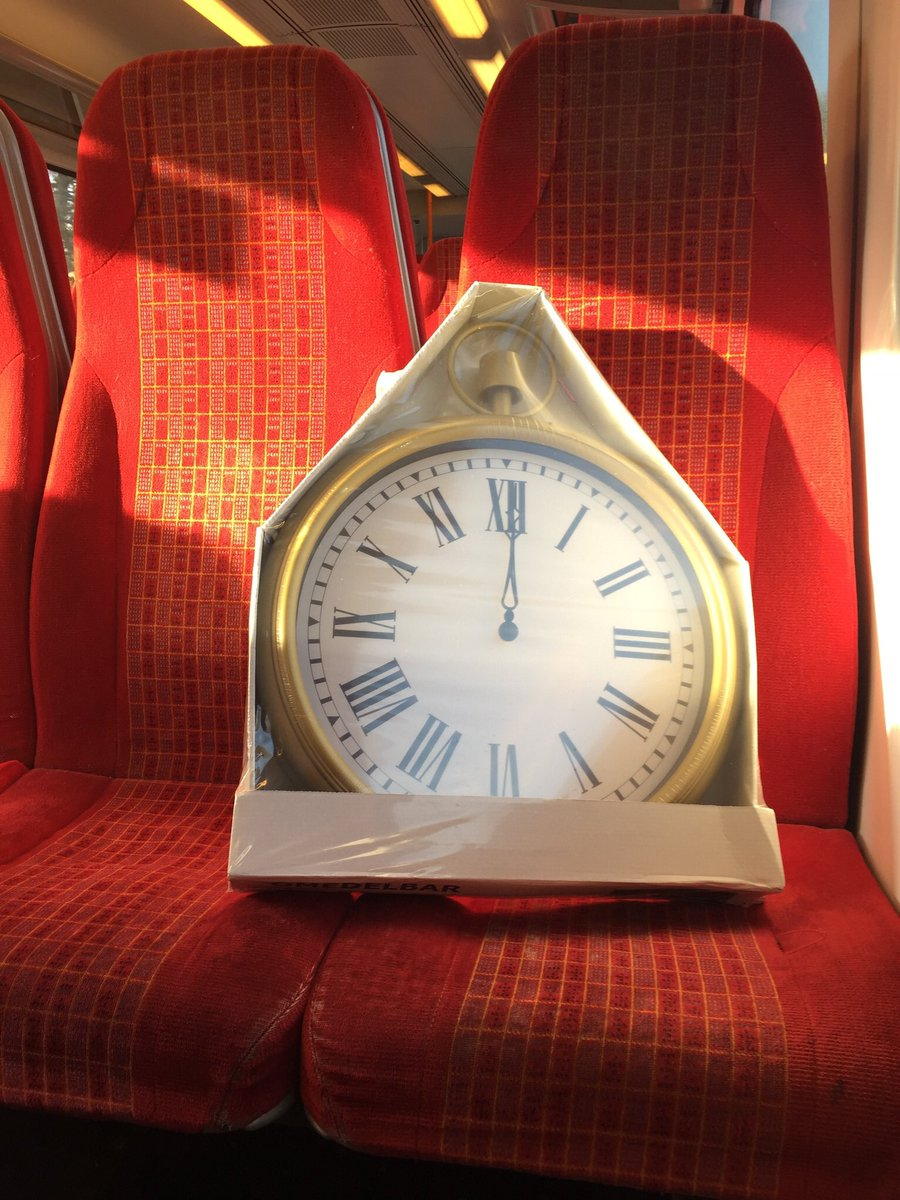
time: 12:00
